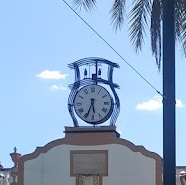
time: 5:34
